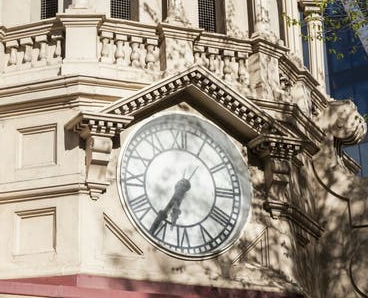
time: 6:35
